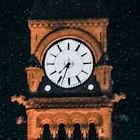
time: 7:33
